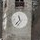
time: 11:37
